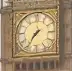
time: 1:36
